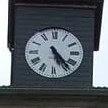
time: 5:23
